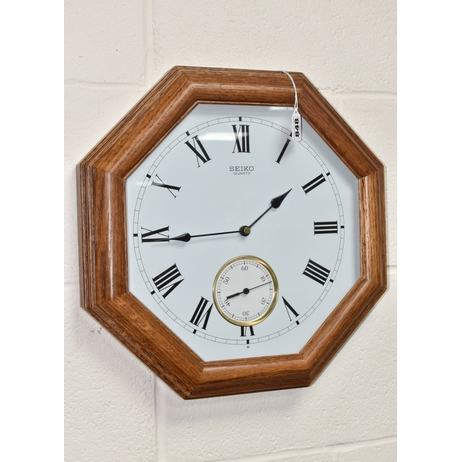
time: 1:44
